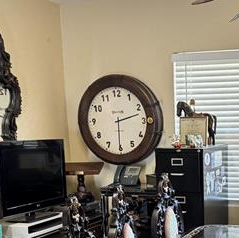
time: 2:30
